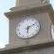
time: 6:10
